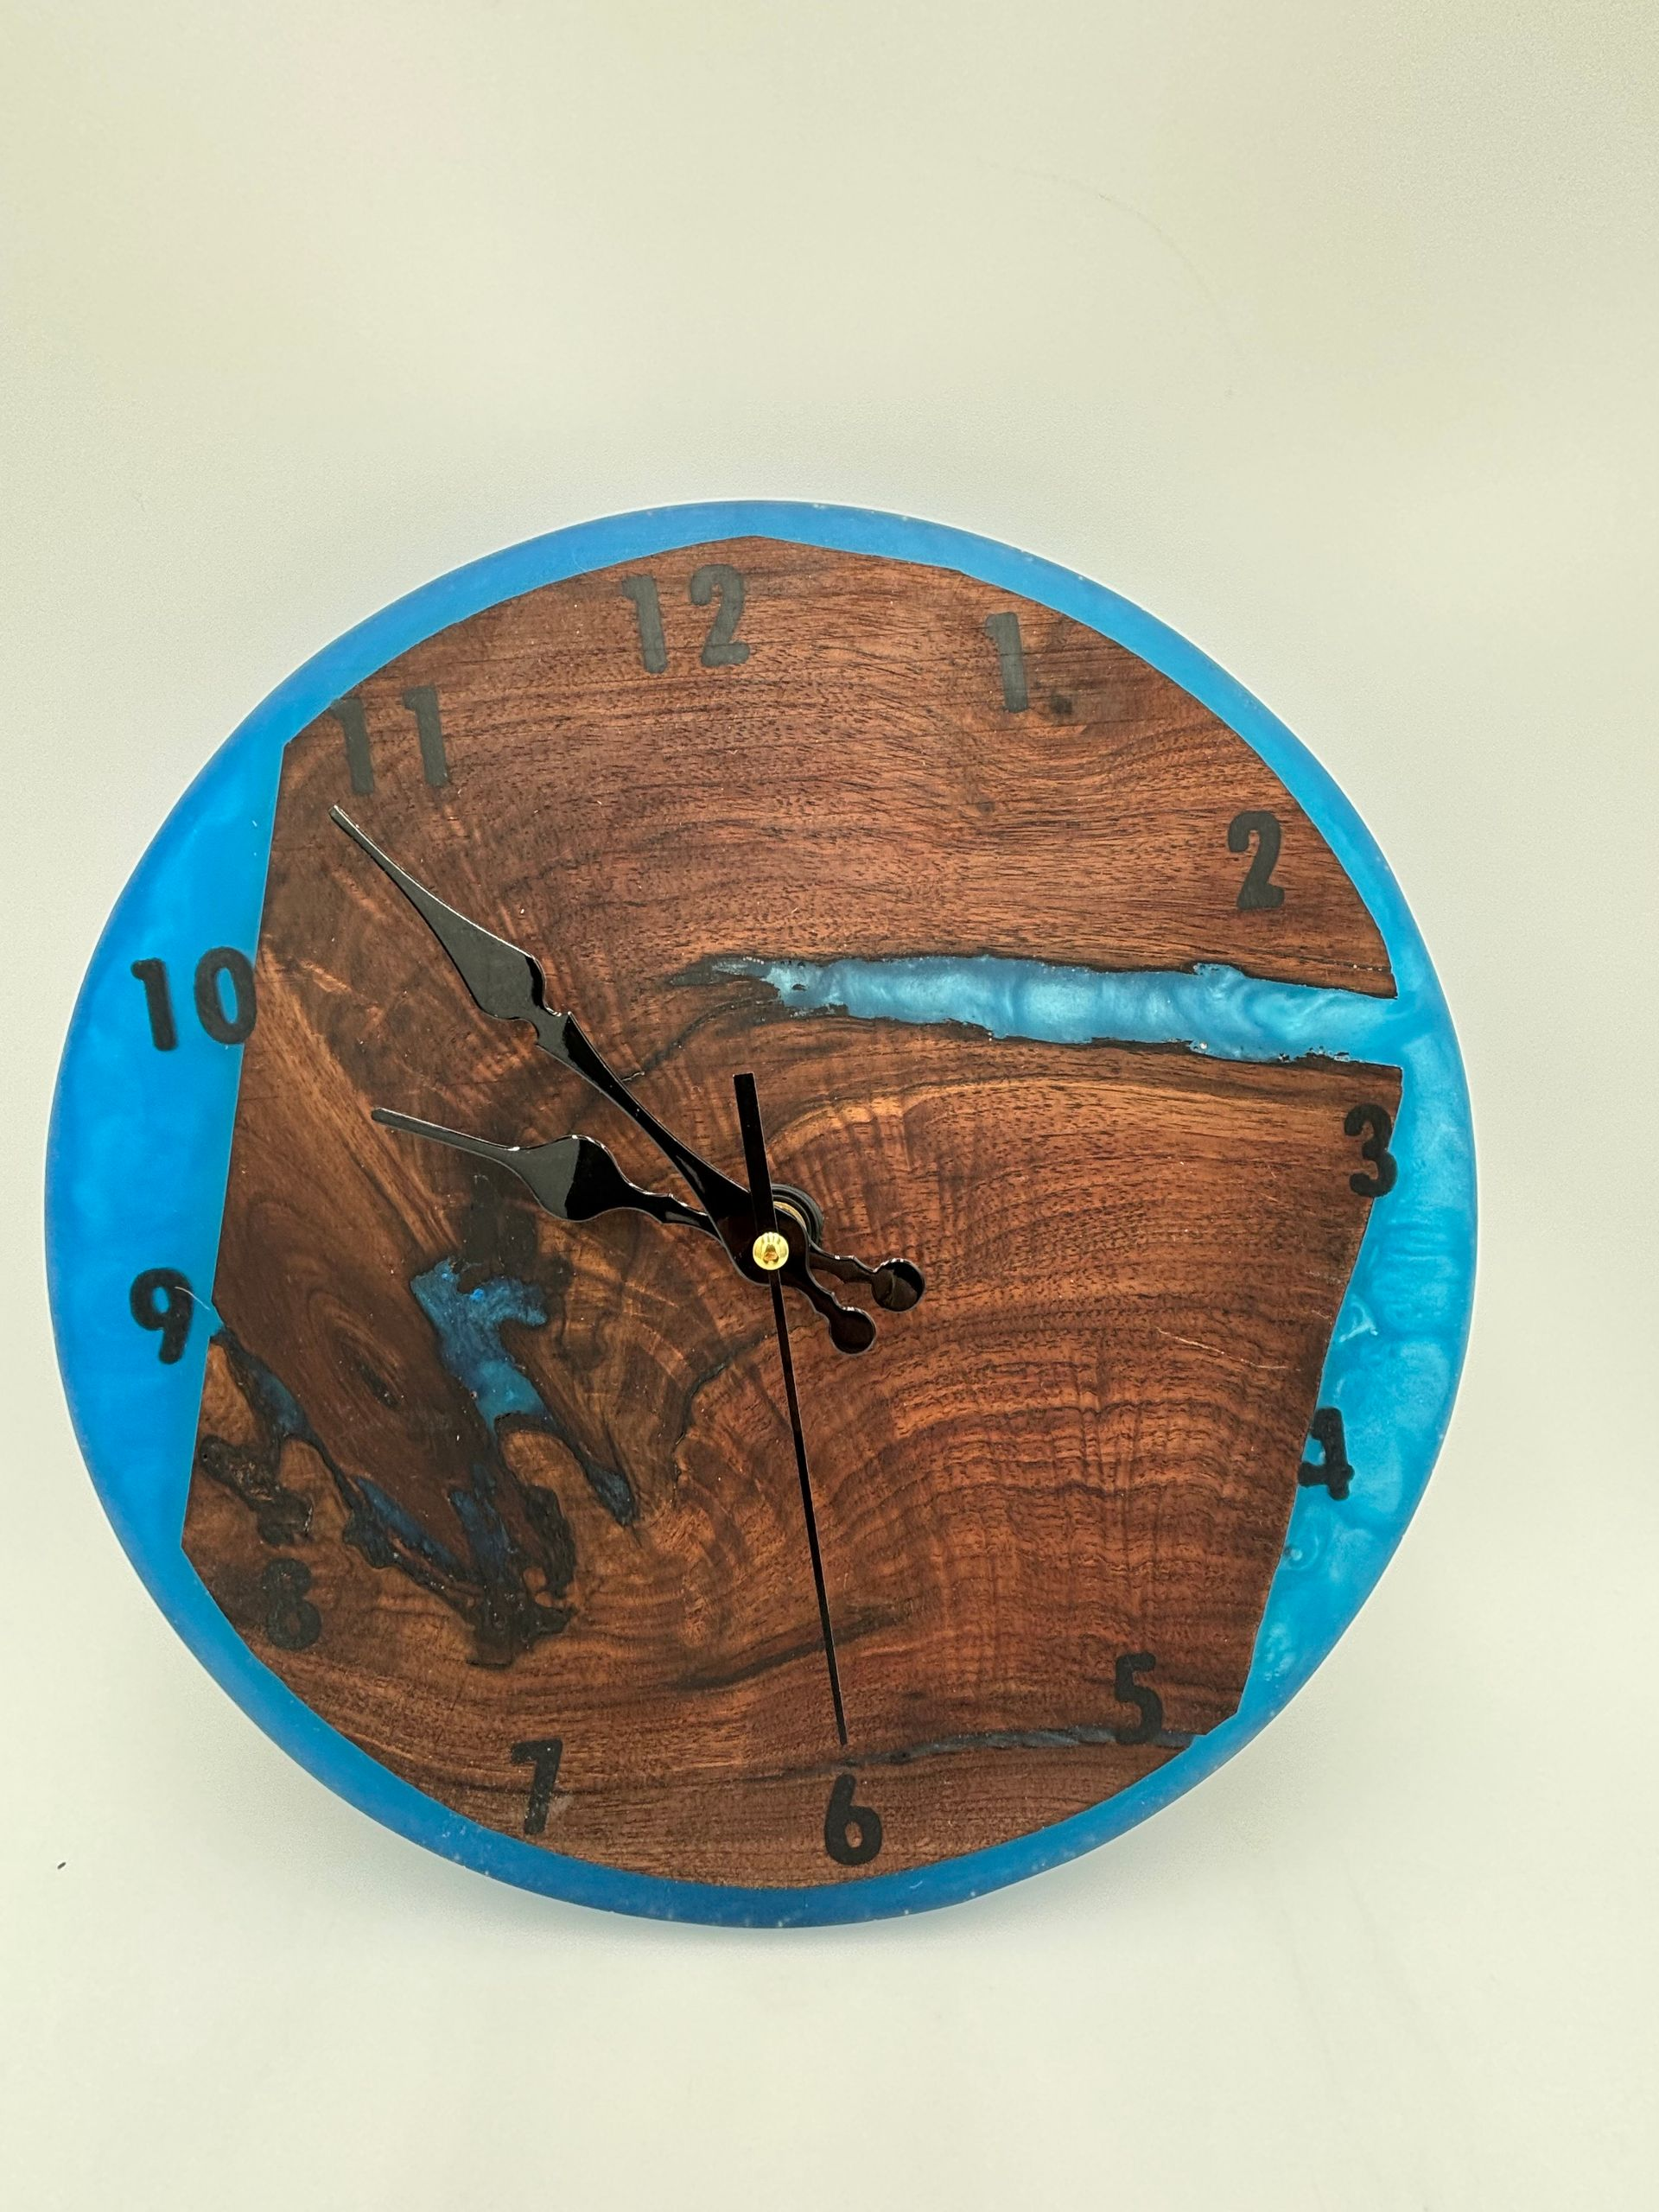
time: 9:53
